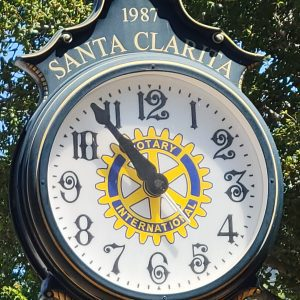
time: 10:53
